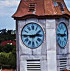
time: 2:45
